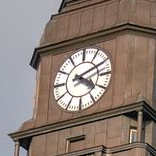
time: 4:10
